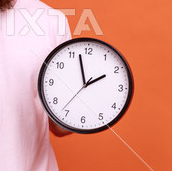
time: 1:57
